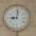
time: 9:01
